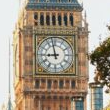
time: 8:57
